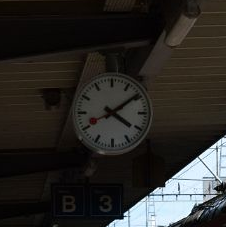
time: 4:09
